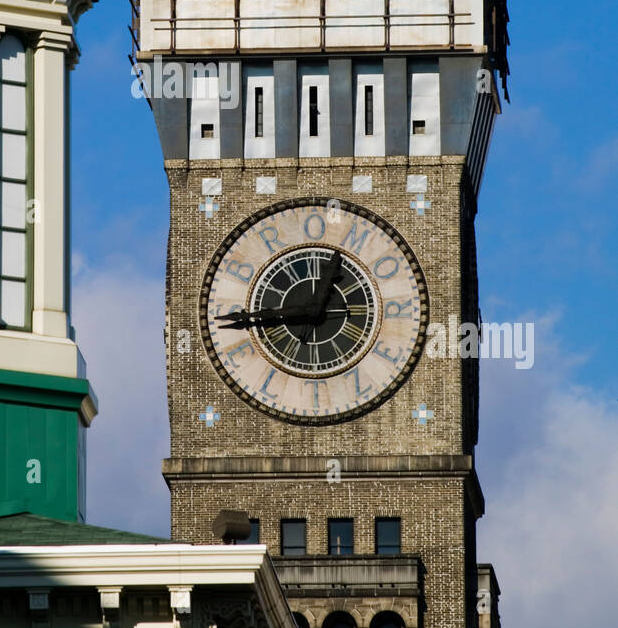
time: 12:43
